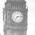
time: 7:13
